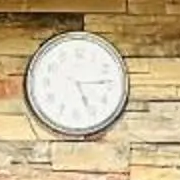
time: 5:14
